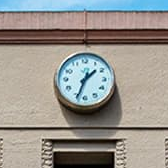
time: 1:33
